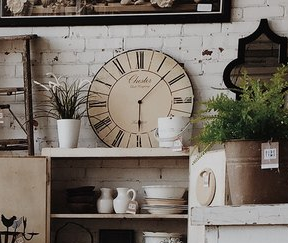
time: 6:07
